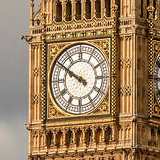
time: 9:50
